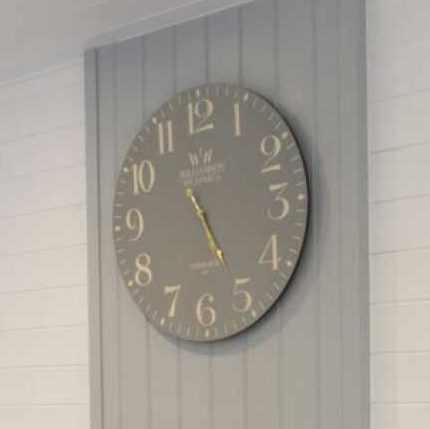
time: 5:25
